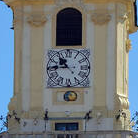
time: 10:44
